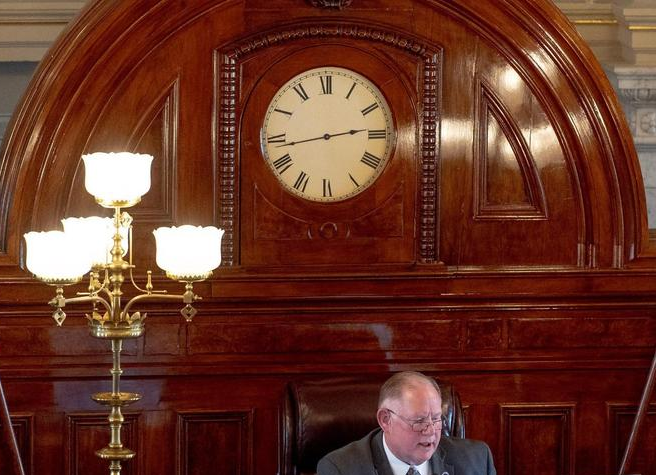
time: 2:43
